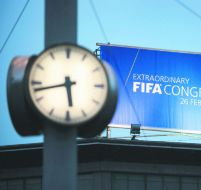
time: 5:42
